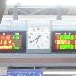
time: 6:39
